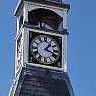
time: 1:18
